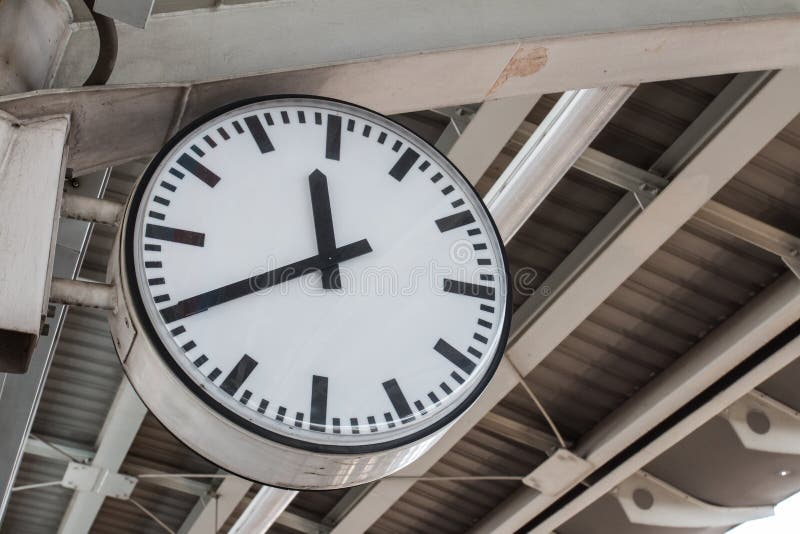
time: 11:40
